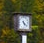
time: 5:21
